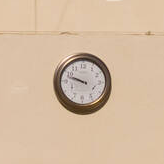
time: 9:47
